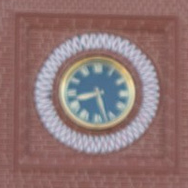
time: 8:27
